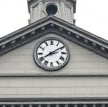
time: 8:09
